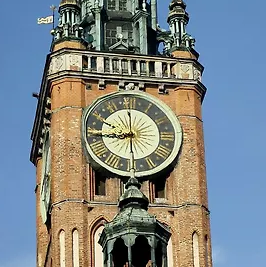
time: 8:59
